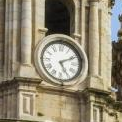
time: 5:10
